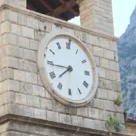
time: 7:44
